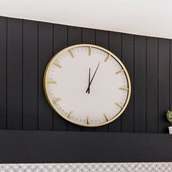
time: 12:03
